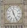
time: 11:25
